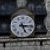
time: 5:15
